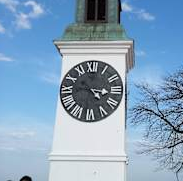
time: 3:22
